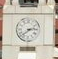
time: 2:38
